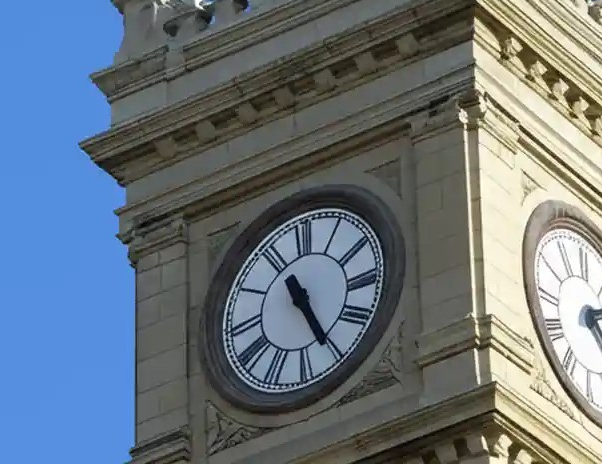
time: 11:25
